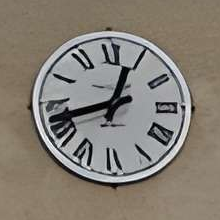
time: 12:42
